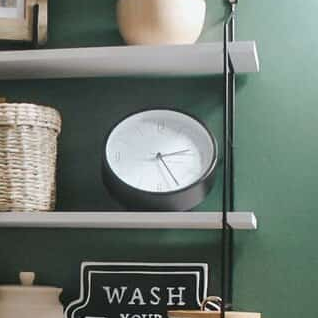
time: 2:25
